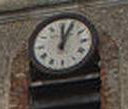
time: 12:04
